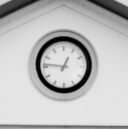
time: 12:46
